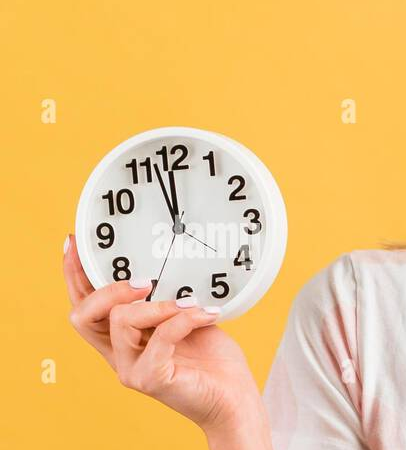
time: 11:57
